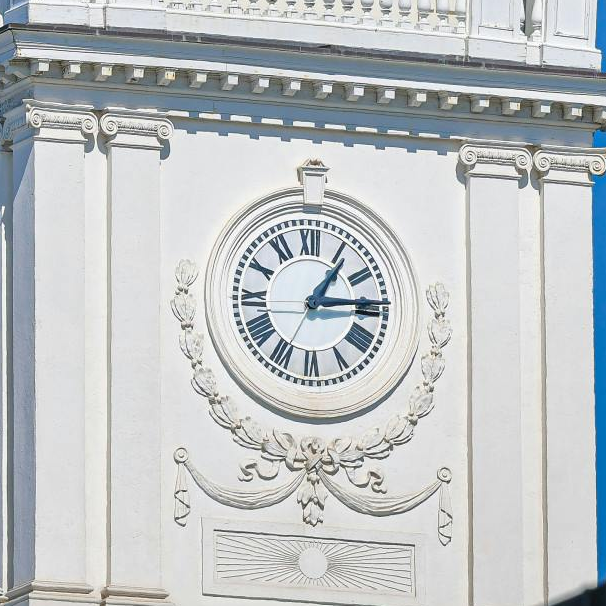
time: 1:14
